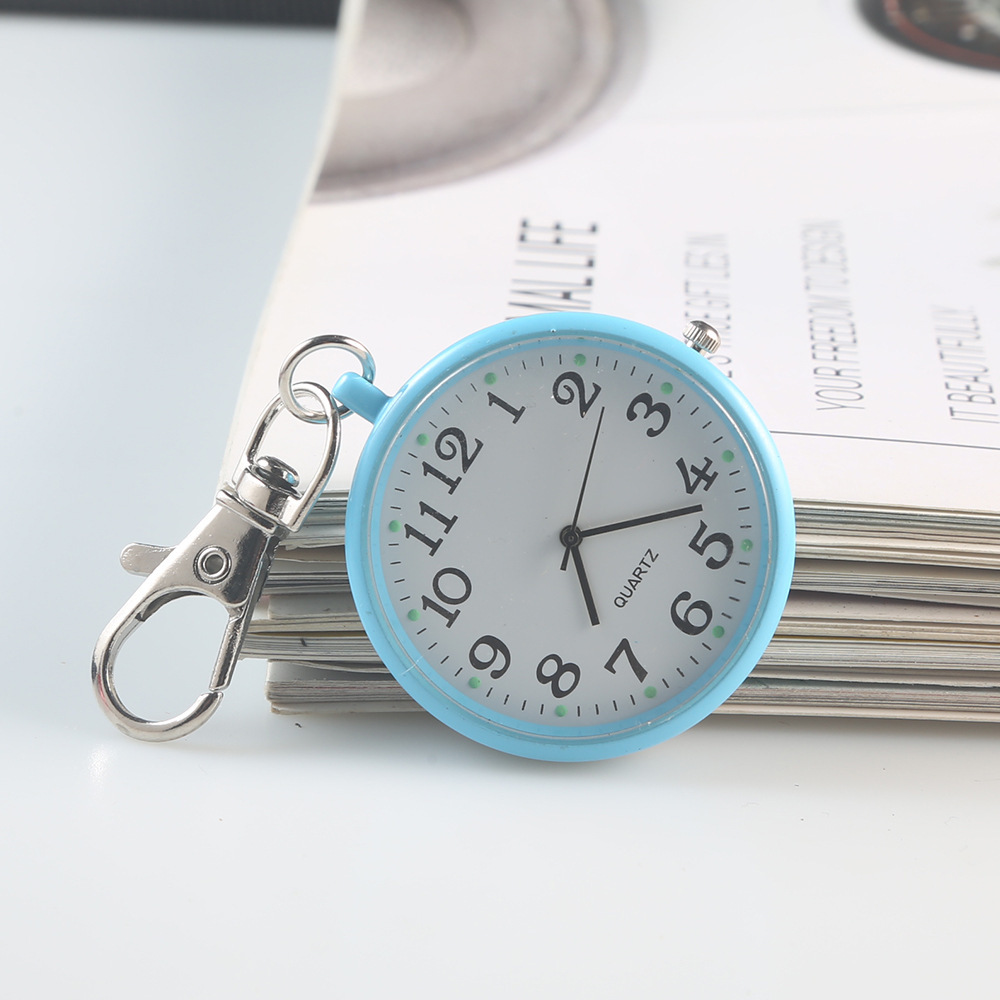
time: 5:12
